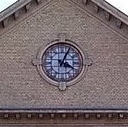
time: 4:04
